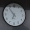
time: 6:53
